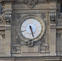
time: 5:26
